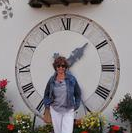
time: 1:34
